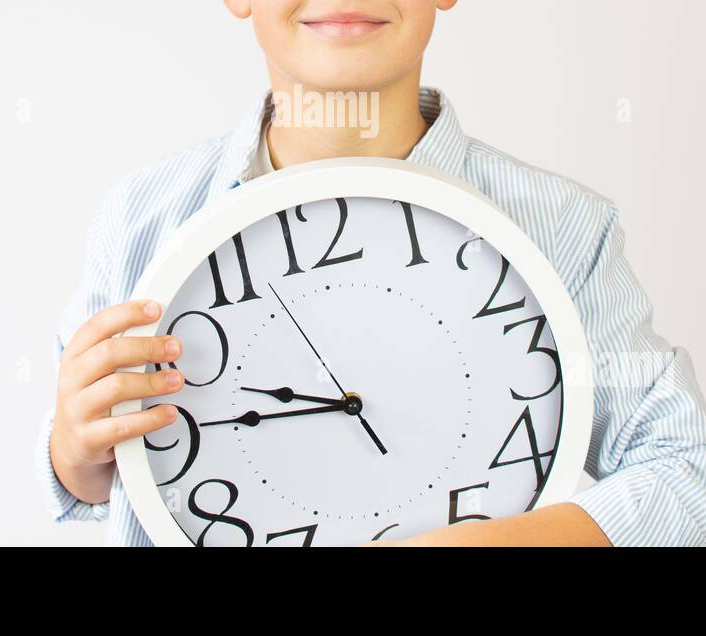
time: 9:45
